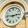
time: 2:46
